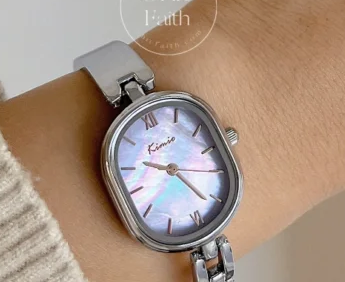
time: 9:21
